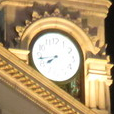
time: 7:42
